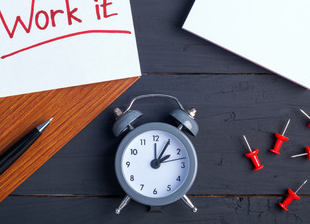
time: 2:05
